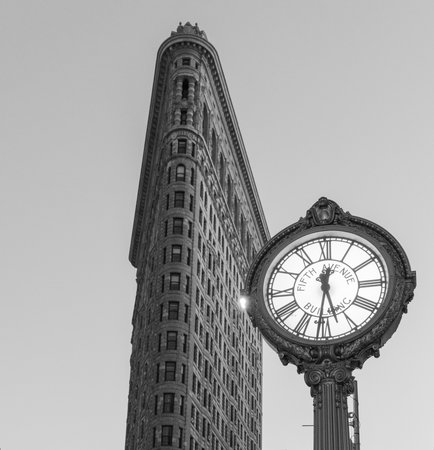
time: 5:31
